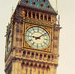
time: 9:08
